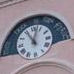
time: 11:02
